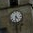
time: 4:32
